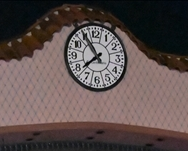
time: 7:54
